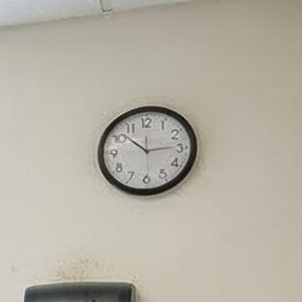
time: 10:14
